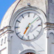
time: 7:08
